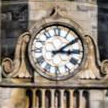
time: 3:09
